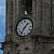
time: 1:35
